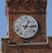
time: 3:04
